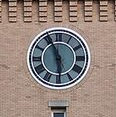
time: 5:55
